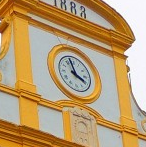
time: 3:57
